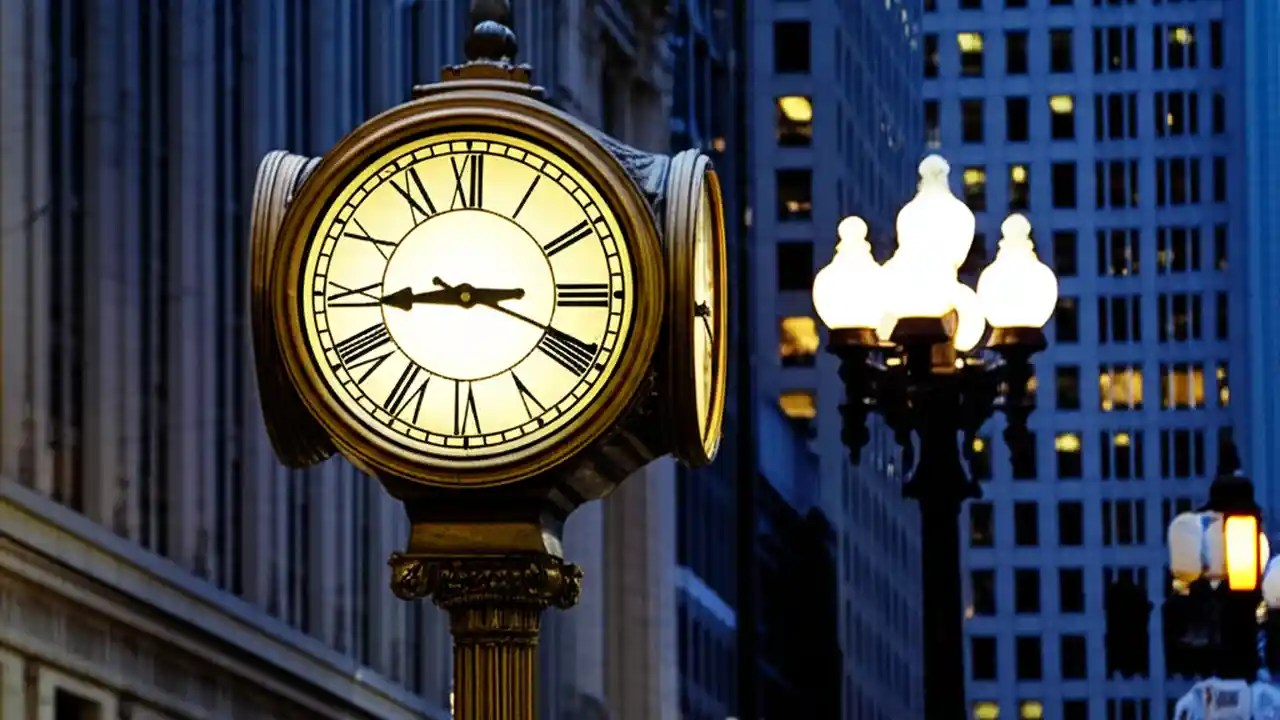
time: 3:44
